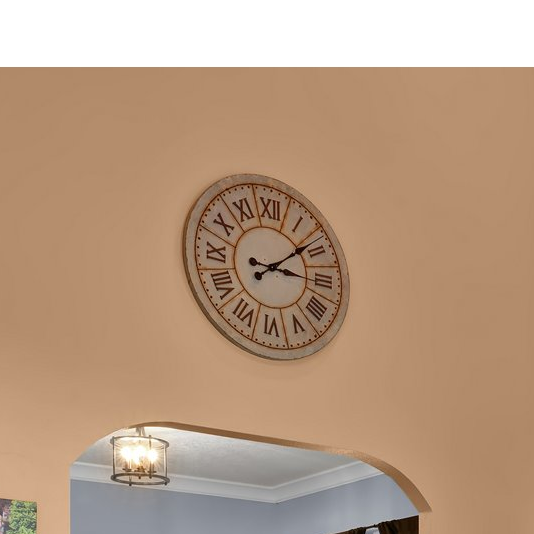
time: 3:08
